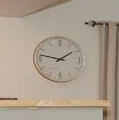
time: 1:47
